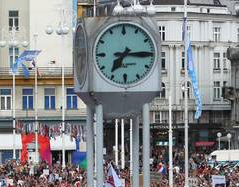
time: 7:15
